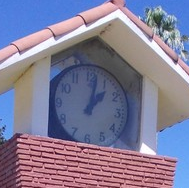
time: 1:02
